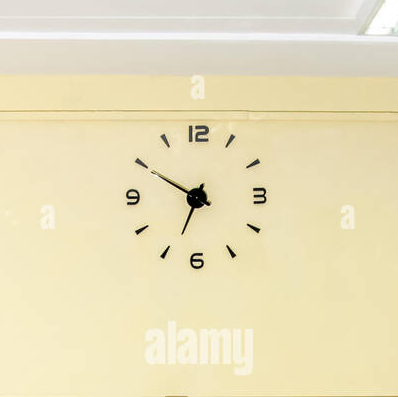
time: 6:50
